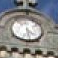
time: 4:29
